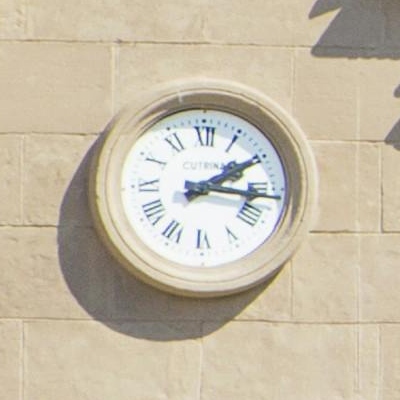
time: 2:16
